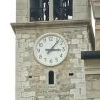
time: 3:06
